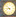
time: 8:52
